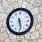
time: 5:28
